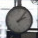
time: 2:06
